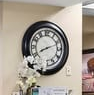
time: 8:11
